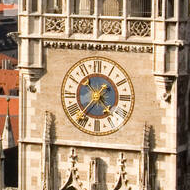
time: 1:36
